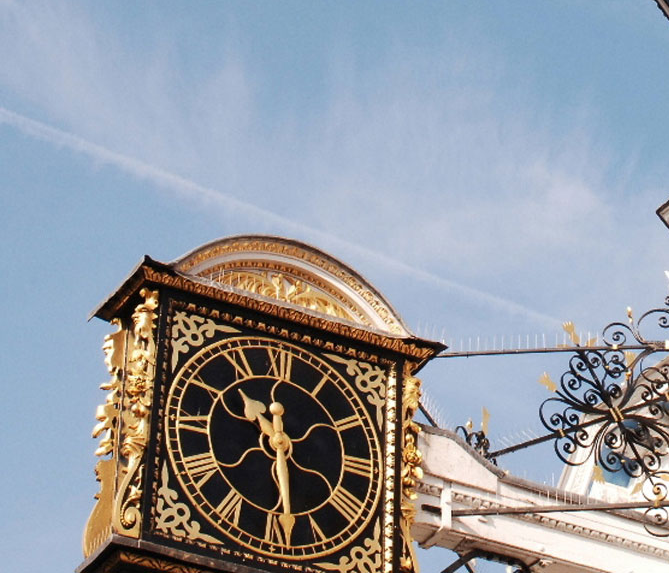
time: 10:28
